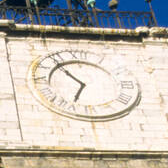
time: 6:53
